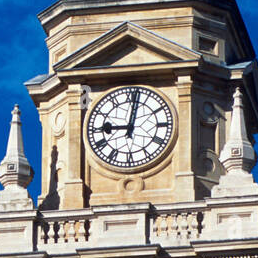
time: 9:01
